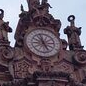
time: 11:25
